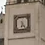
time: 6:23
